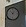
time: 12:52
